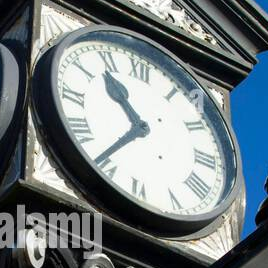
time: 10:36
